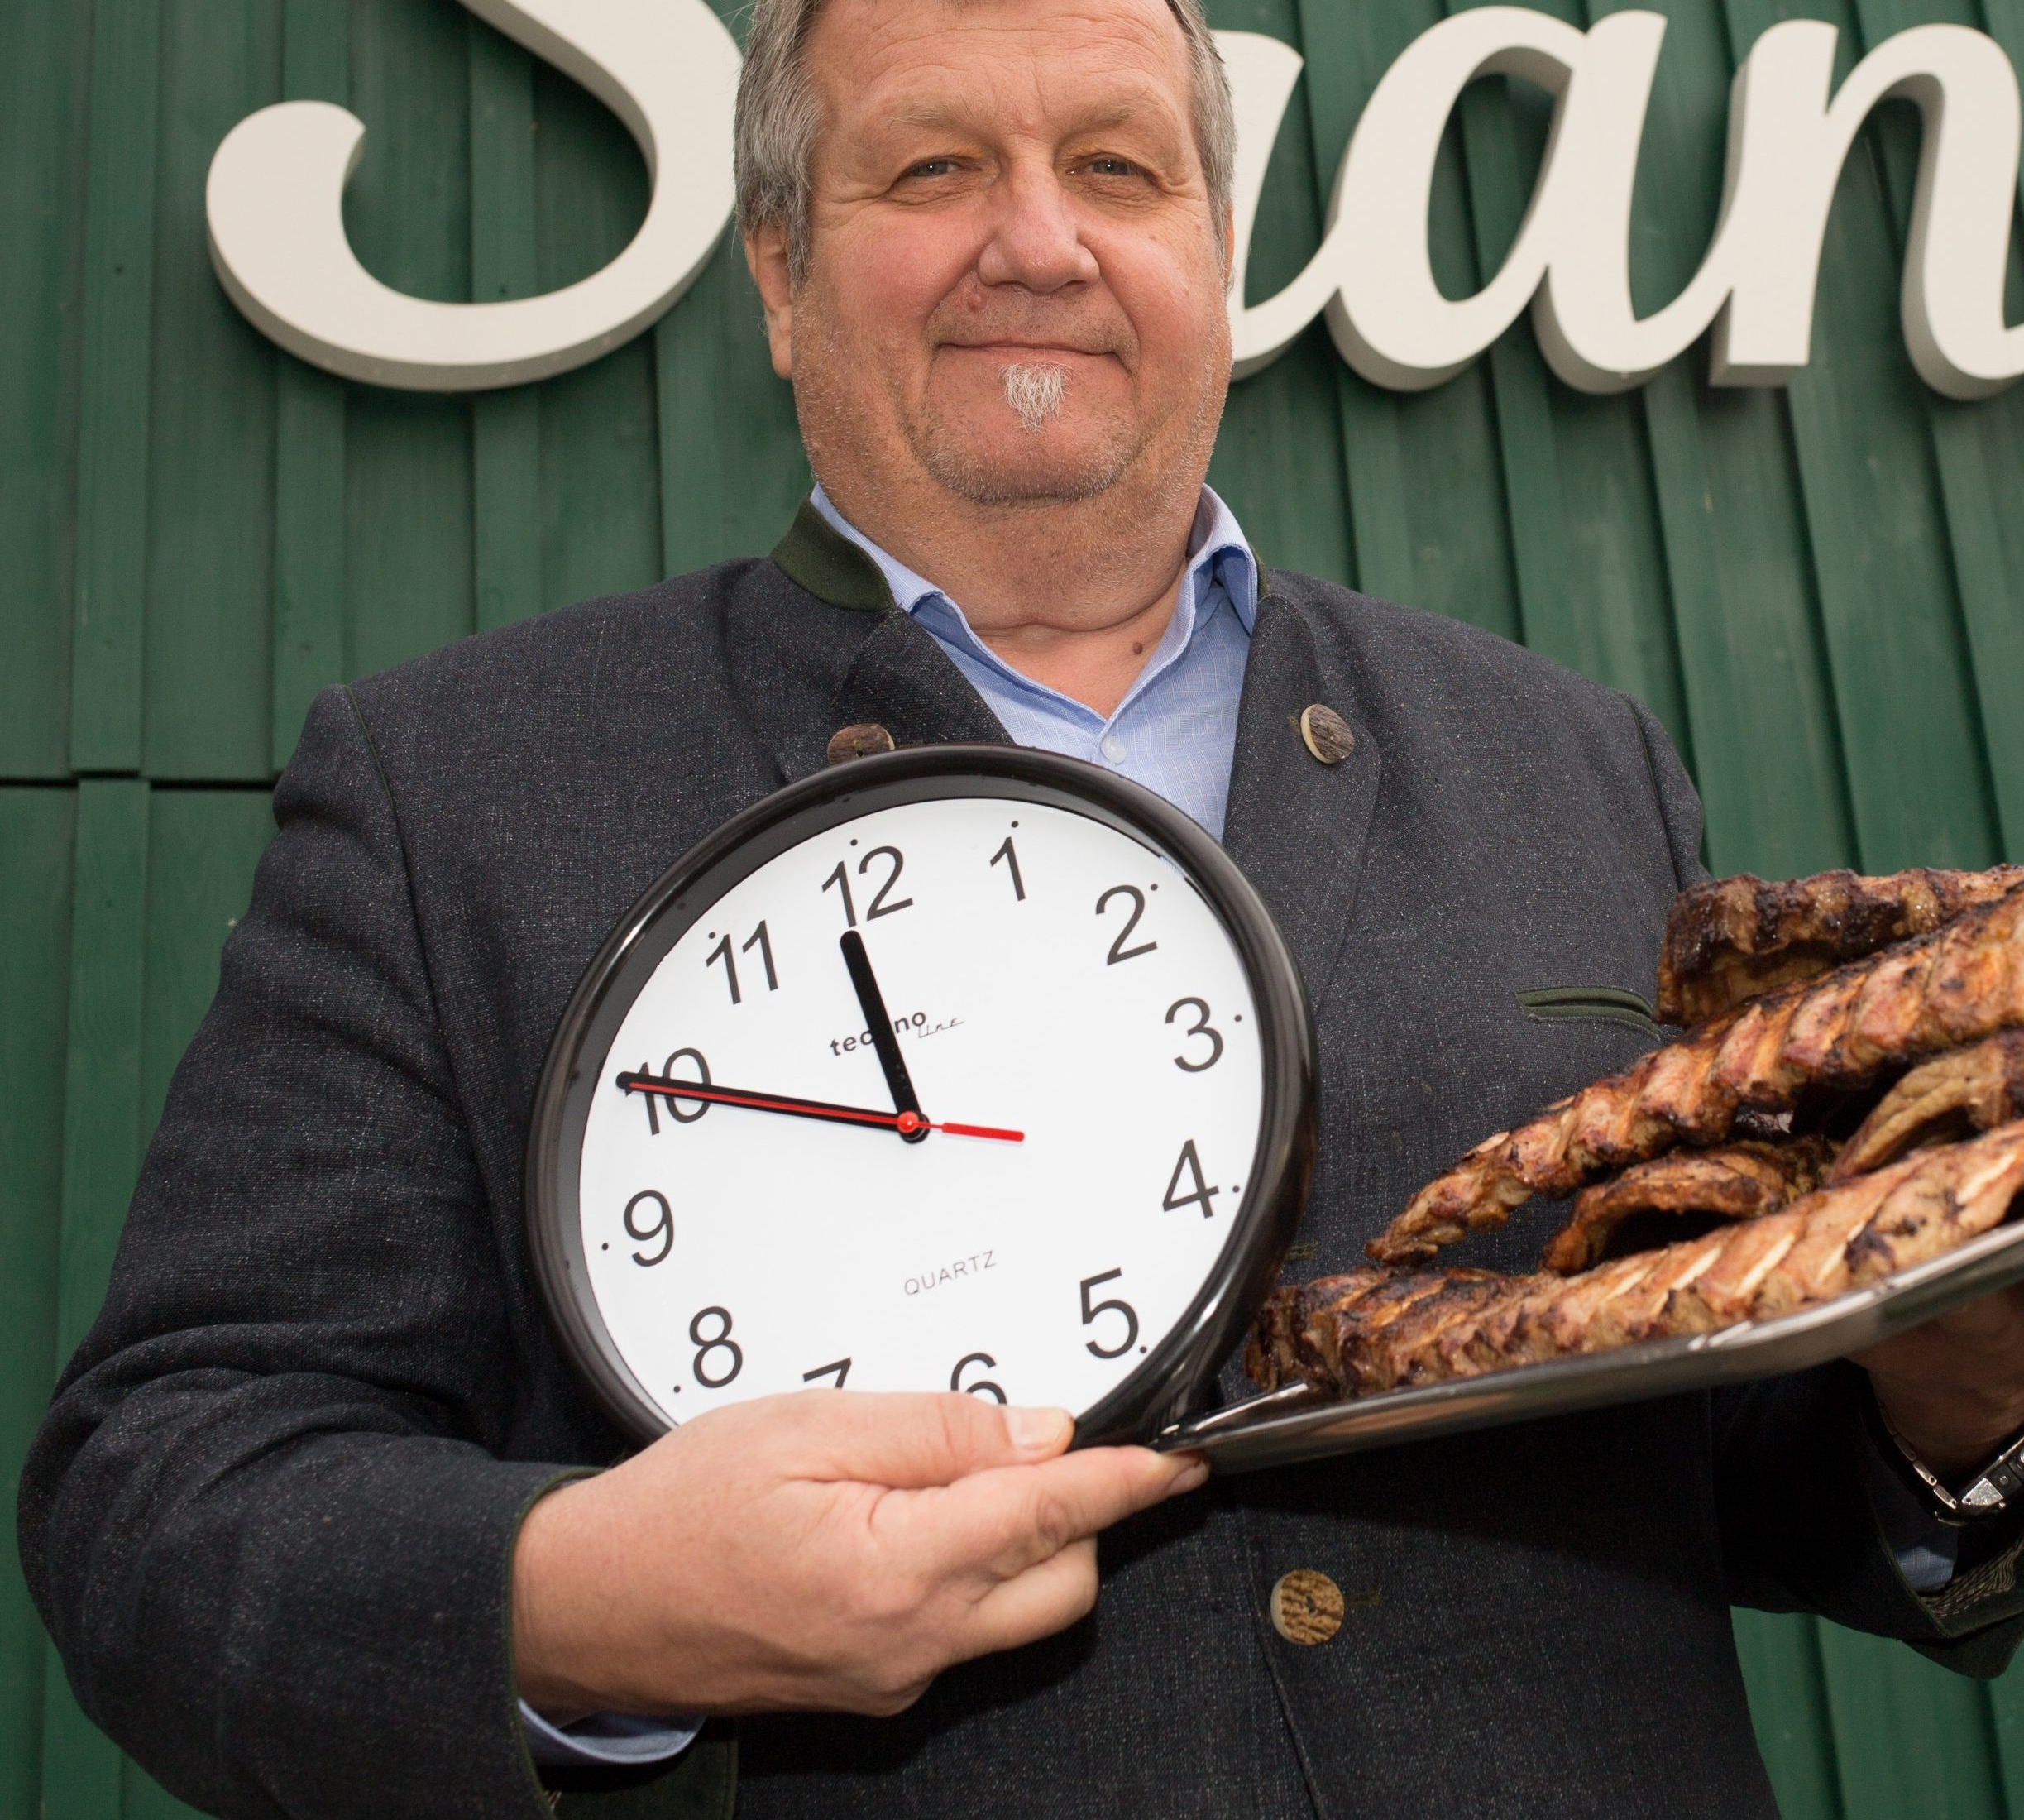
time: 11:49
